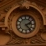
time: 2:23
